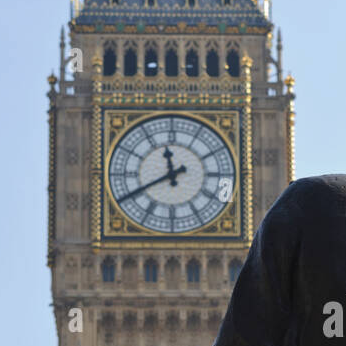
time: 11:40
